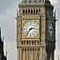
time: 2:37
